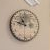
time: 10:47
